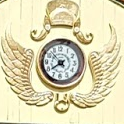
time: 7:52
